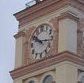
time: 10:16
